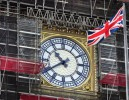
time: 10:39
